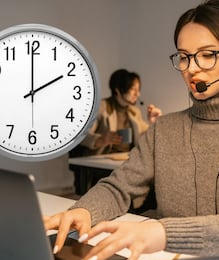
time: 2:00
